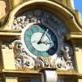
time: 3:04
